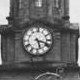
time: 5:18
